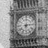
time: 6:14
